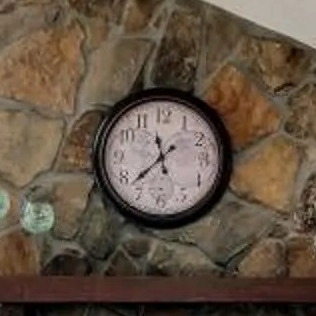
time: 11:37
